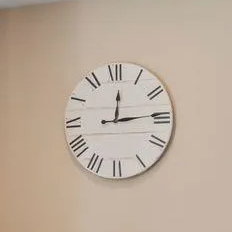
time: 12:14
